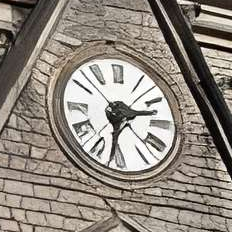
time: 2:31
